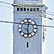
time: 12:28
